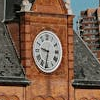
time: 9:31
